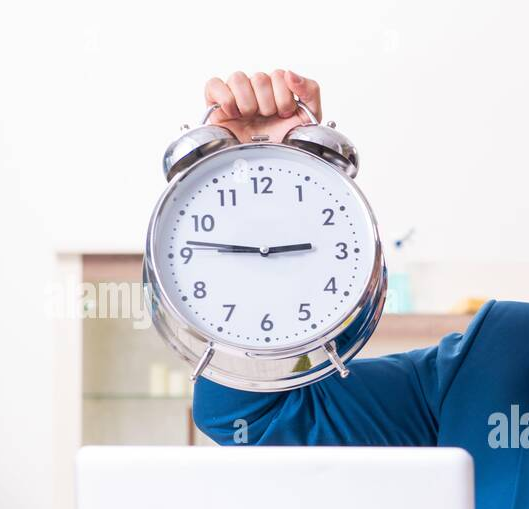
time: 2:46
